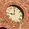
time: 9:01
